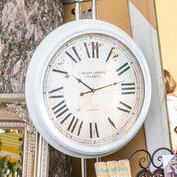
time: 10:12
